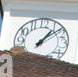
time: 1:08
